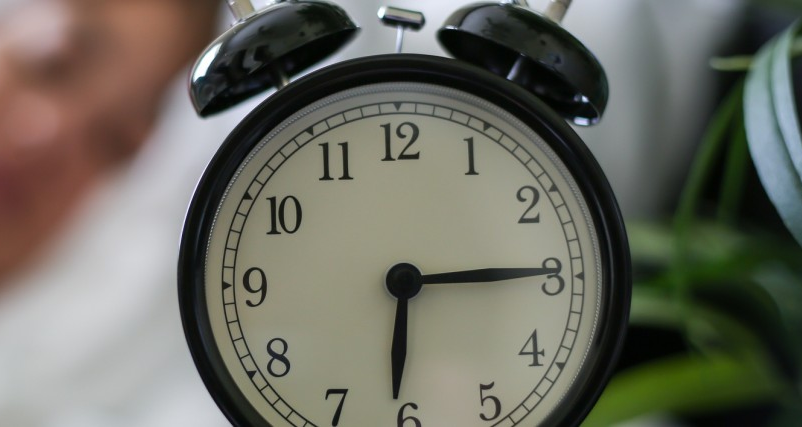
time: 6:14
